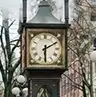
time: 6:10
